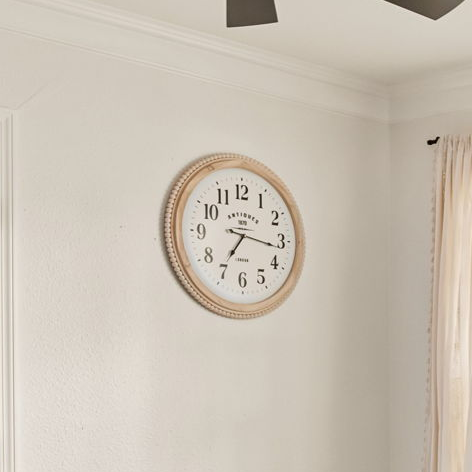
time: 7:16
